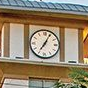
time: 7:04
